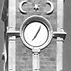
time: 7:04
